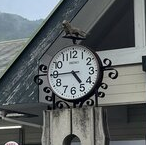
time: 4:44
